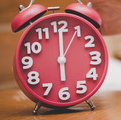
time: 6:00
